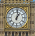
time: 1:01
